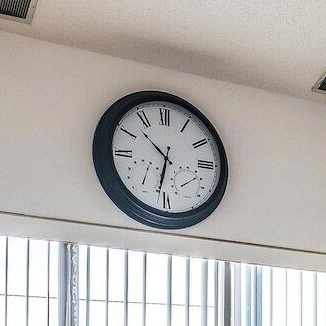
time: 10:31
